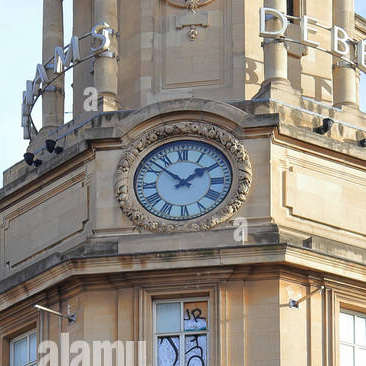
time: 1:52
